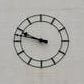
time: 9:47
